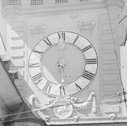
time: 6:00
